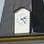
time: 2:21
